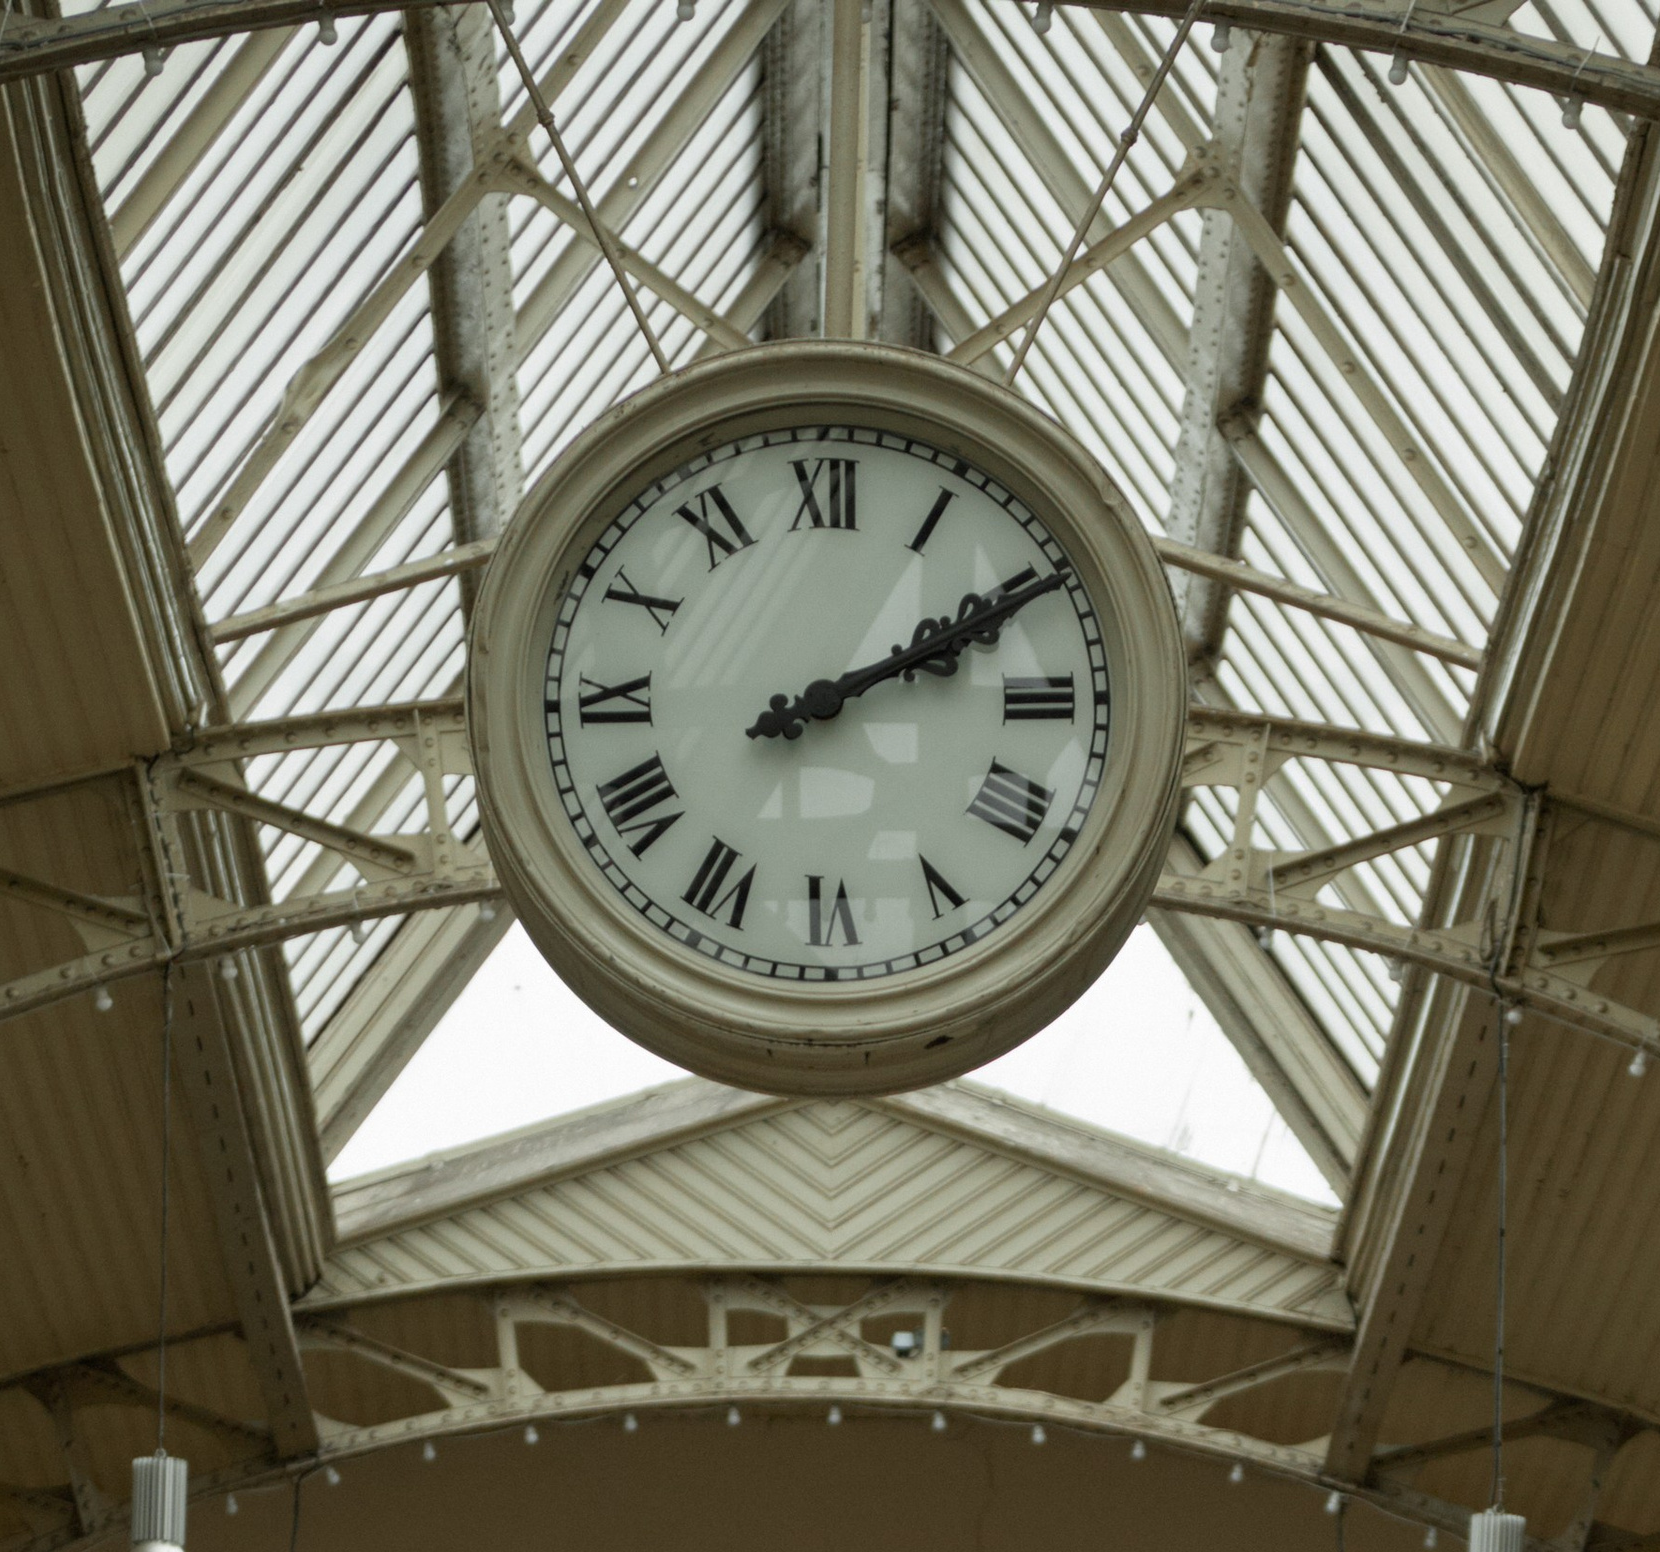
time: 2:10
